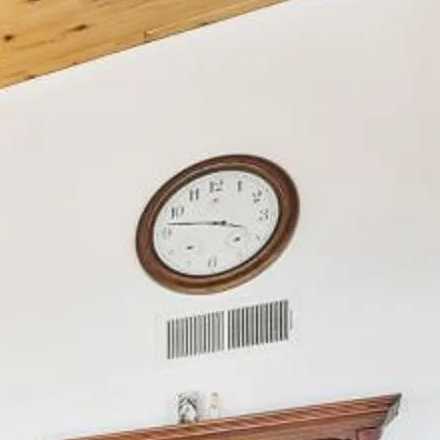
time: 3:46
